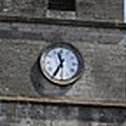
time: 11:35
